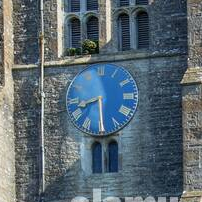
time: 8:29
